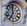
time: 6:58
